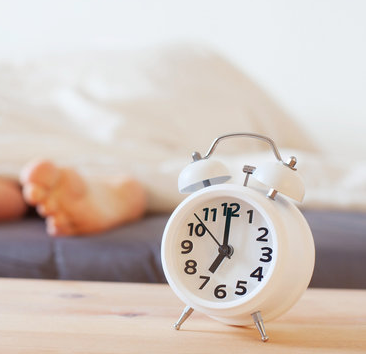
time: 6:59
